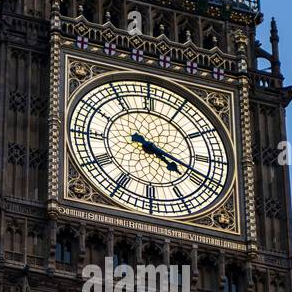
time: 4:18
